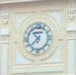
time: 10:37
